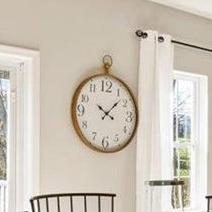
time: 10:07
